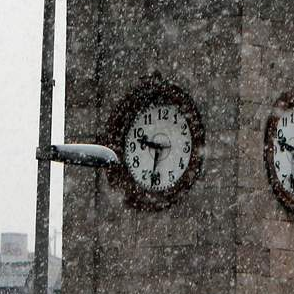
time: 9:32
